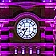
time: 8:34
